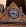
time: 4:44
